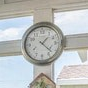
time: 1:22
